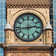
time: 2:43
